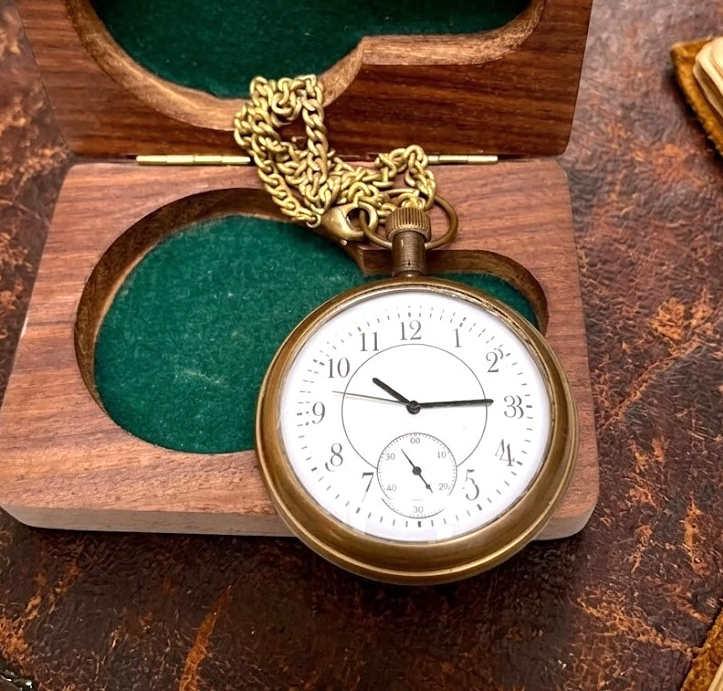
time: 10:14
